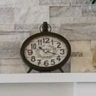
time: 10:17
